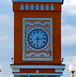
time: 6:14
